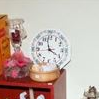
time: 3:58
